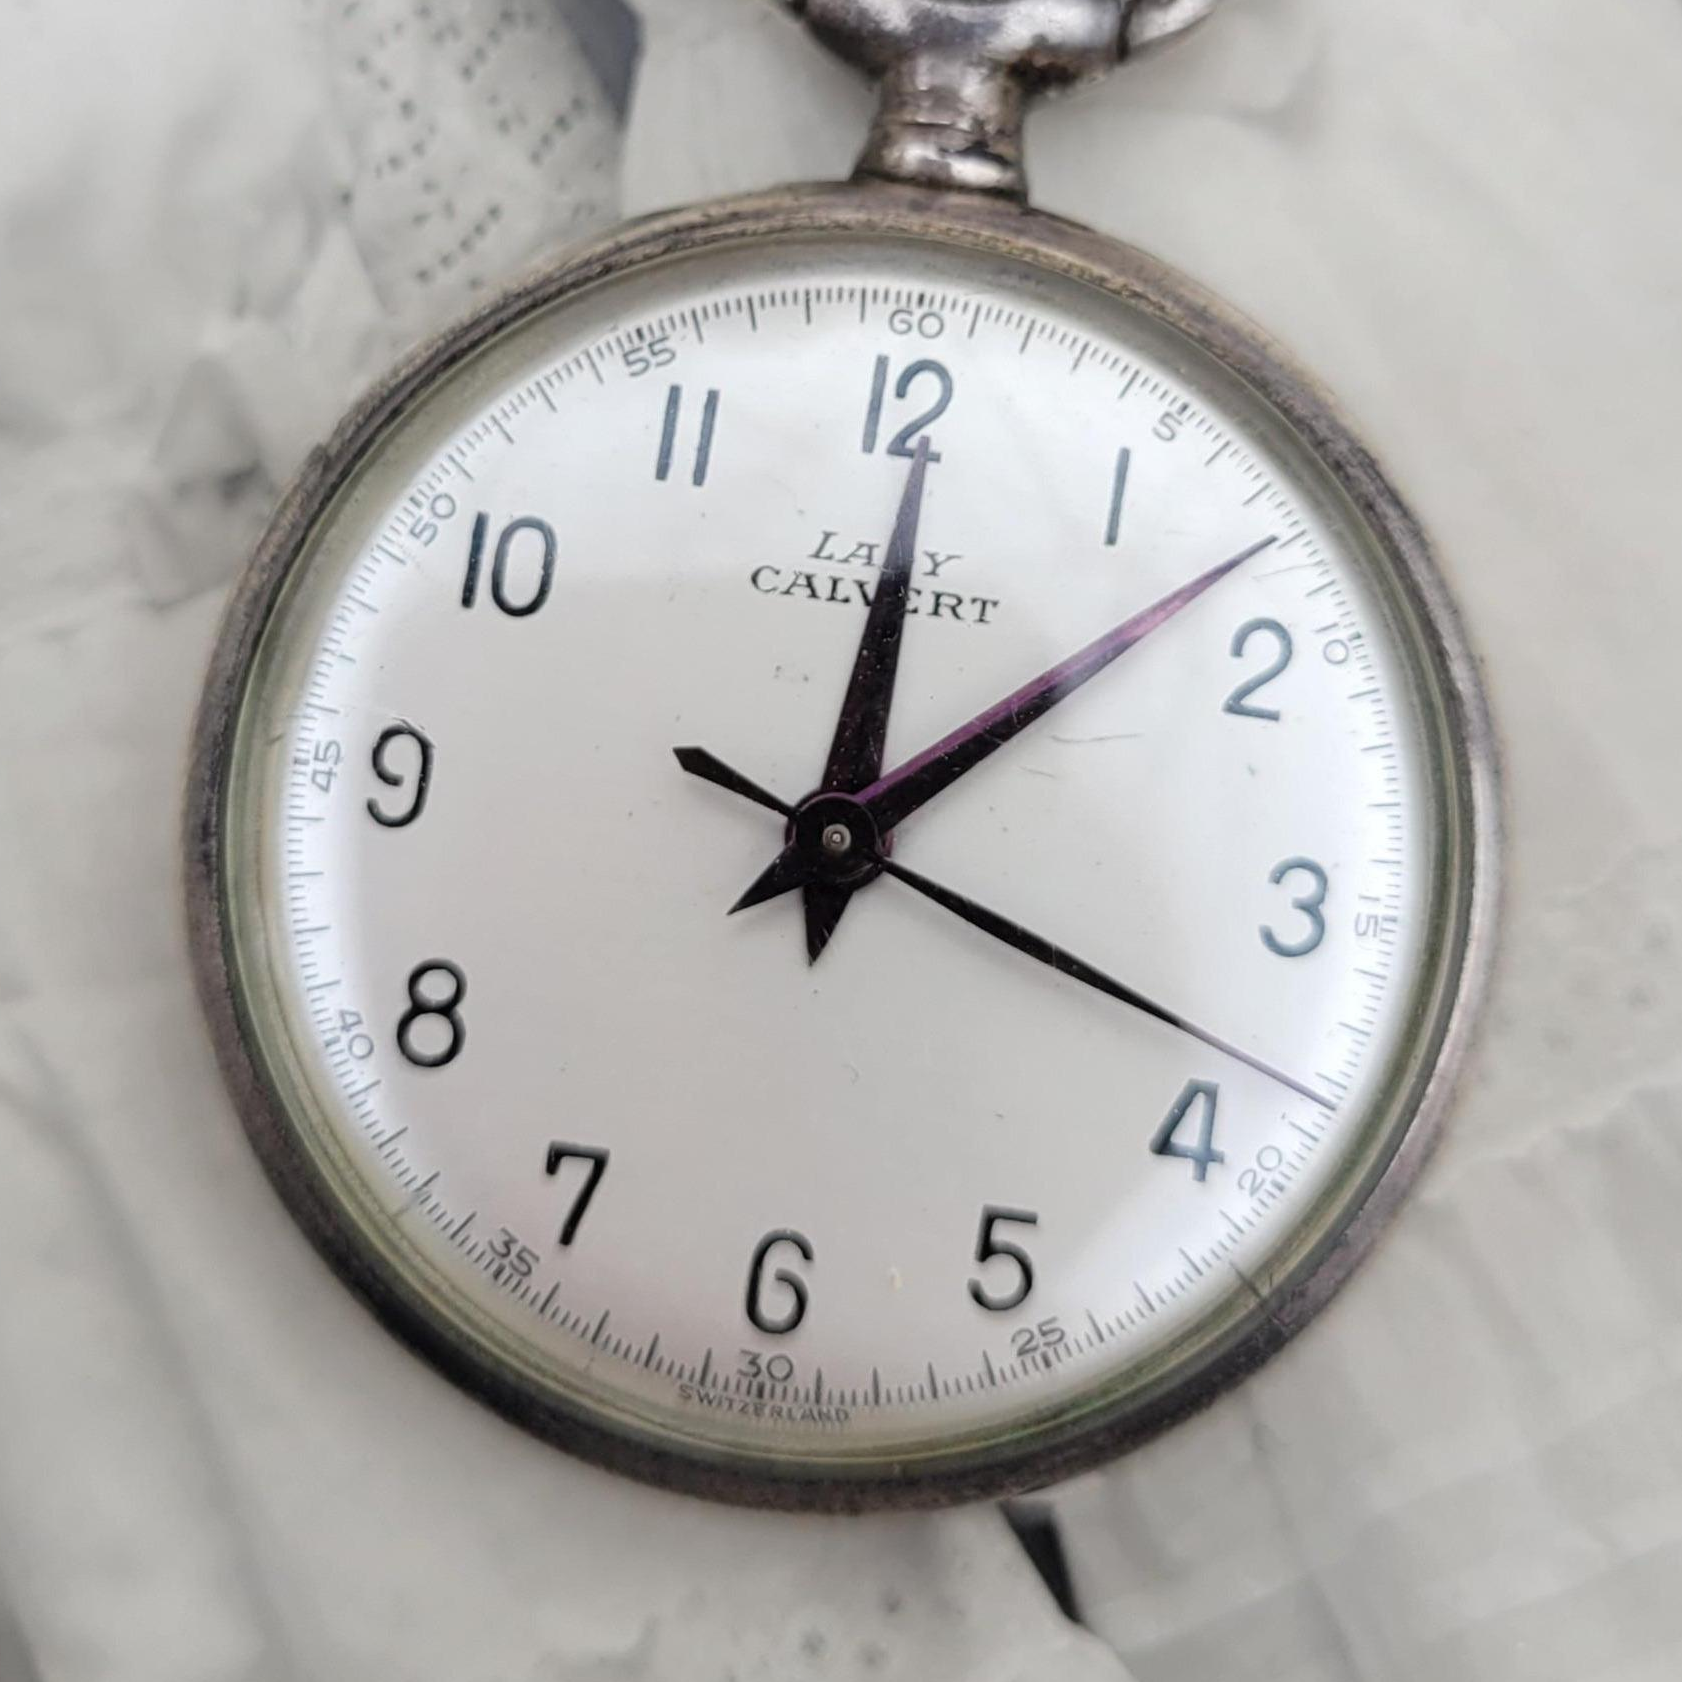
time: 12:07
